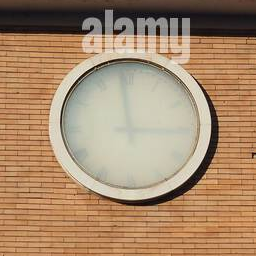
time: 2:58
